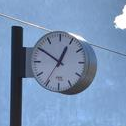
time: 12:50
